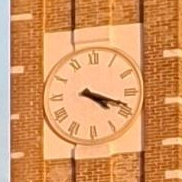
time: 4:18
